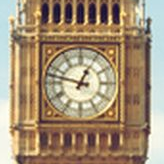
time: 12:47
